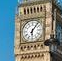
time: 6:06
